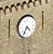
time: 4:35
